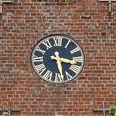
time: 3:28
